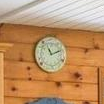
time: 11:11
